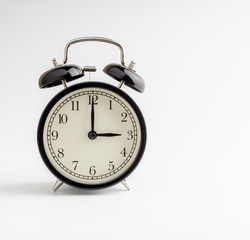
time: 3:00
